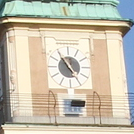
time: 4:53
